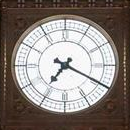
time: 7:19
